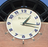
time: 1:16
